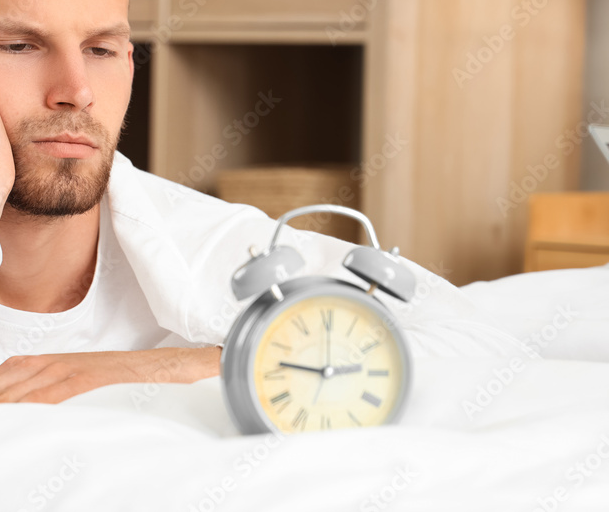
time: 2:47
